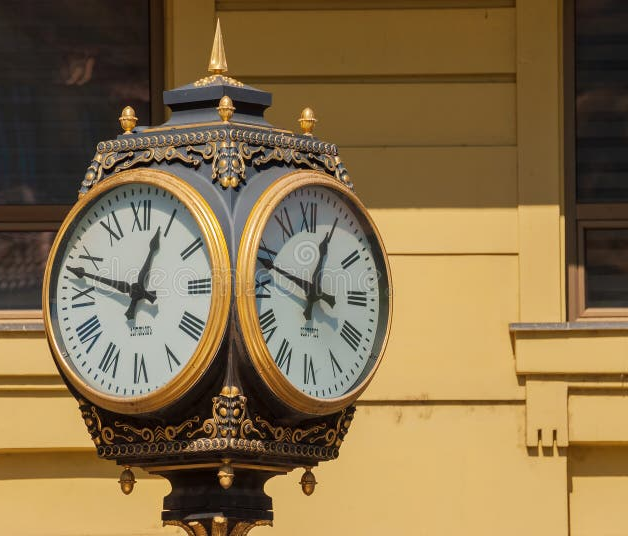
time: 12:48
